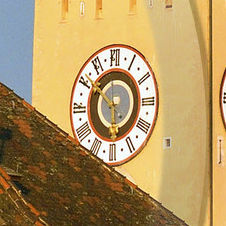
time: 5:51
